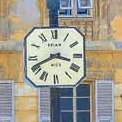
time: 3:40
